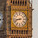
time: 8:42
